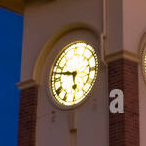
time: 5:47
